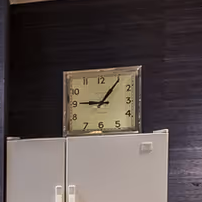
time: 9:05
